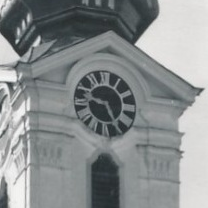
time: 9:25
